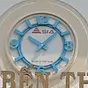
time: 10:07
